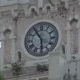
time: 5:54
